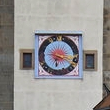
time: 6:17
